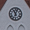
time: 11:03
